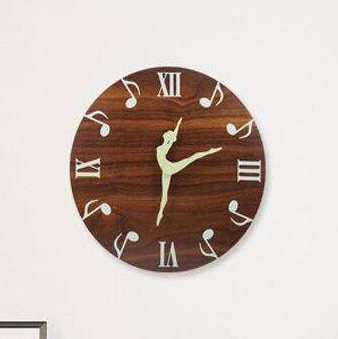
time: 12:31
